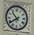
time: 10:39
